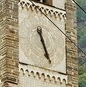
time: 5:26
